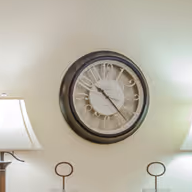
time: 10:22
